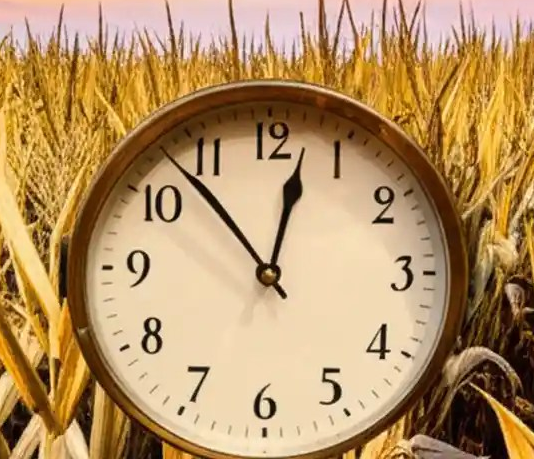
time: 12:52
